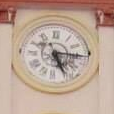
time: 5:15
